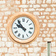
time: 9:53
